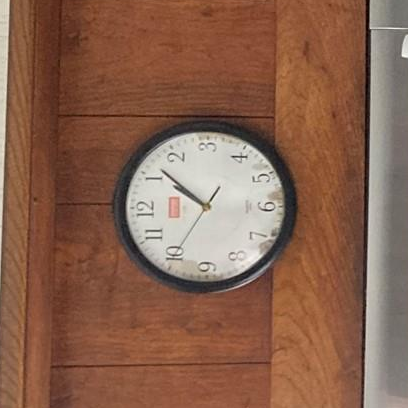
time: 9:51
